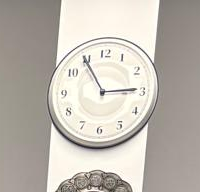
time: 2:54
